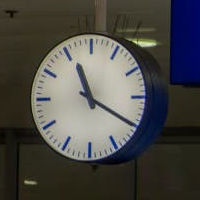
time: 11:20
